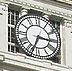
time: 3:33
